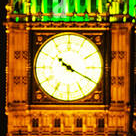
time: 10:19
